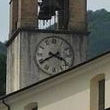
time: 3:40
